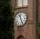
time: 11:25
